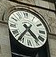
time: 4:36
